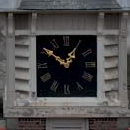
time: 12:50
